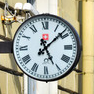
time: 5:08
